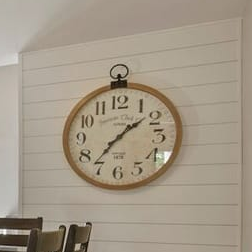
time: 1:36
